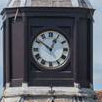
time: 12:51
